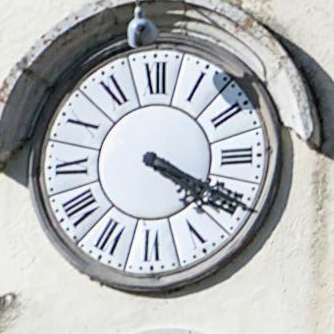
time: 4:19
